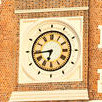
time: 6:44
